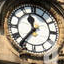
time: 11:36
